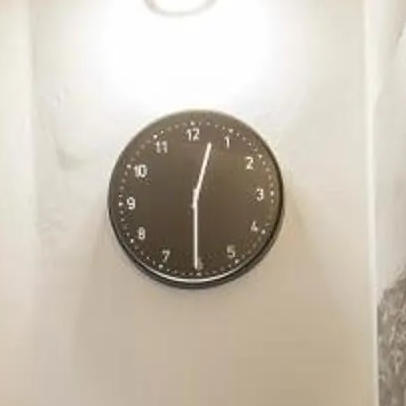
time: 12:30
